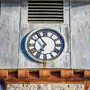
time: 6:54
